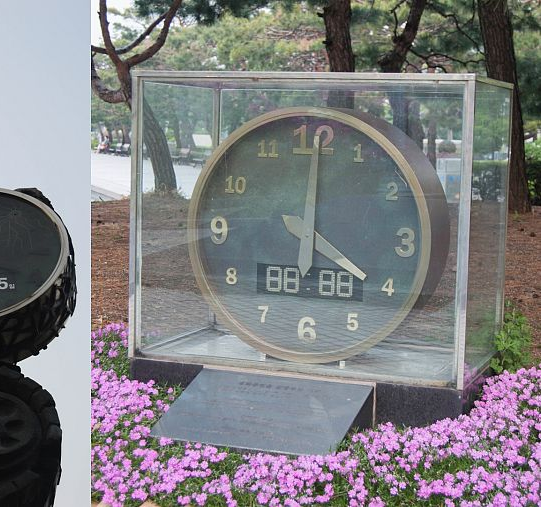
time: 4:00
